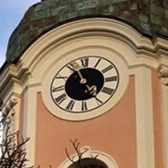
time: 4:56
